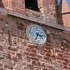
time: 3:34
